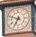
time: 6:48
